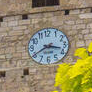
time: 3:40
